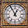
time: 12:55
